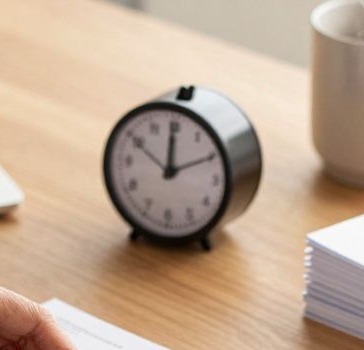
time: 11:49
